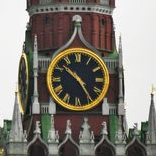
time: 10:24
